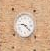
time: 9:22
